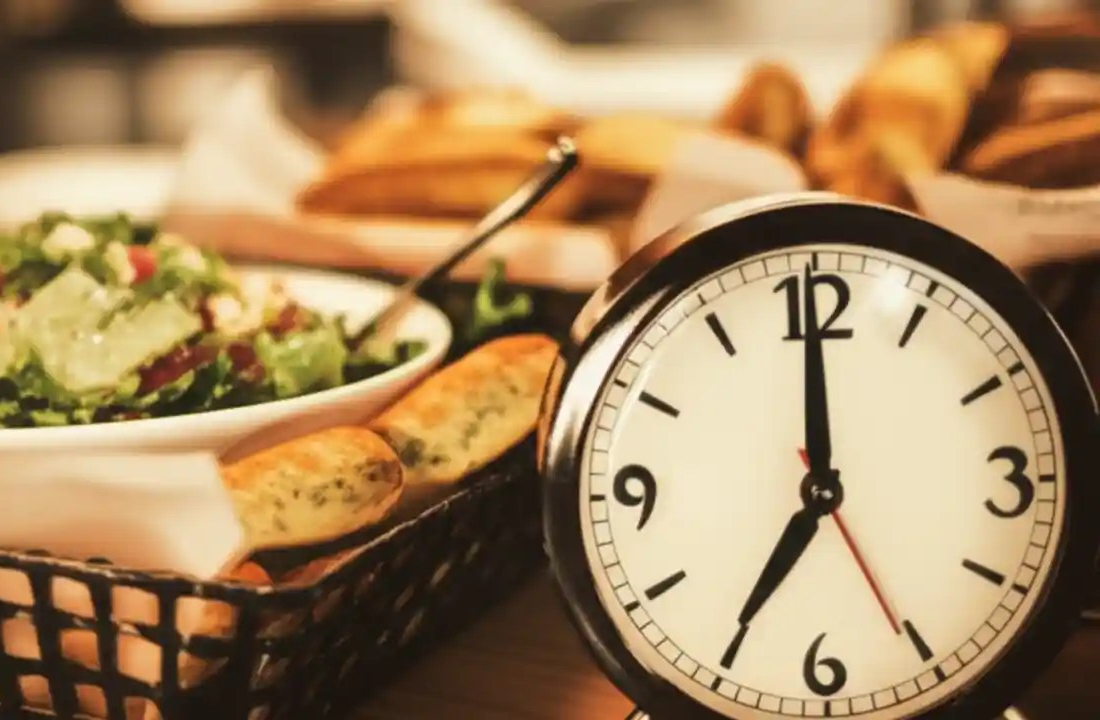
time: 7:00
